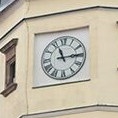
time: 11:14
